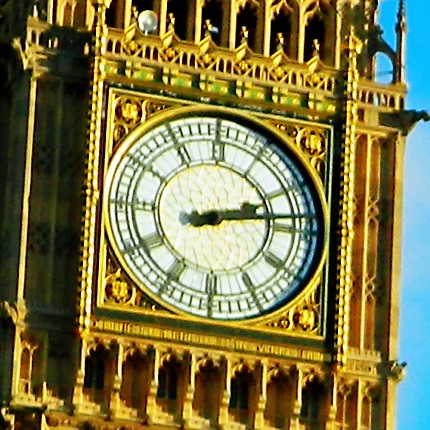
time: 2:13
